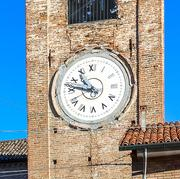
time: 10:47
